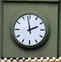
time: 1:58
